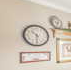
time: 10:30
